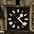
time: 1:23
